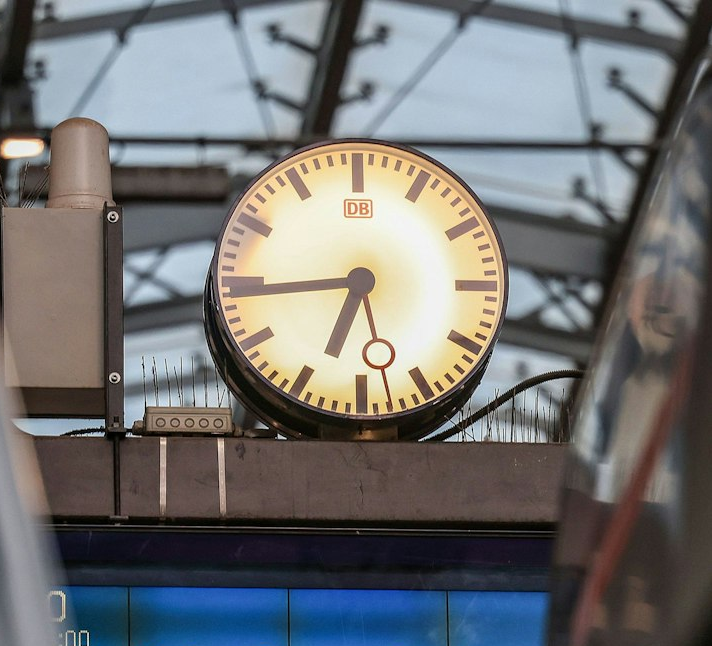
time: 6:44
